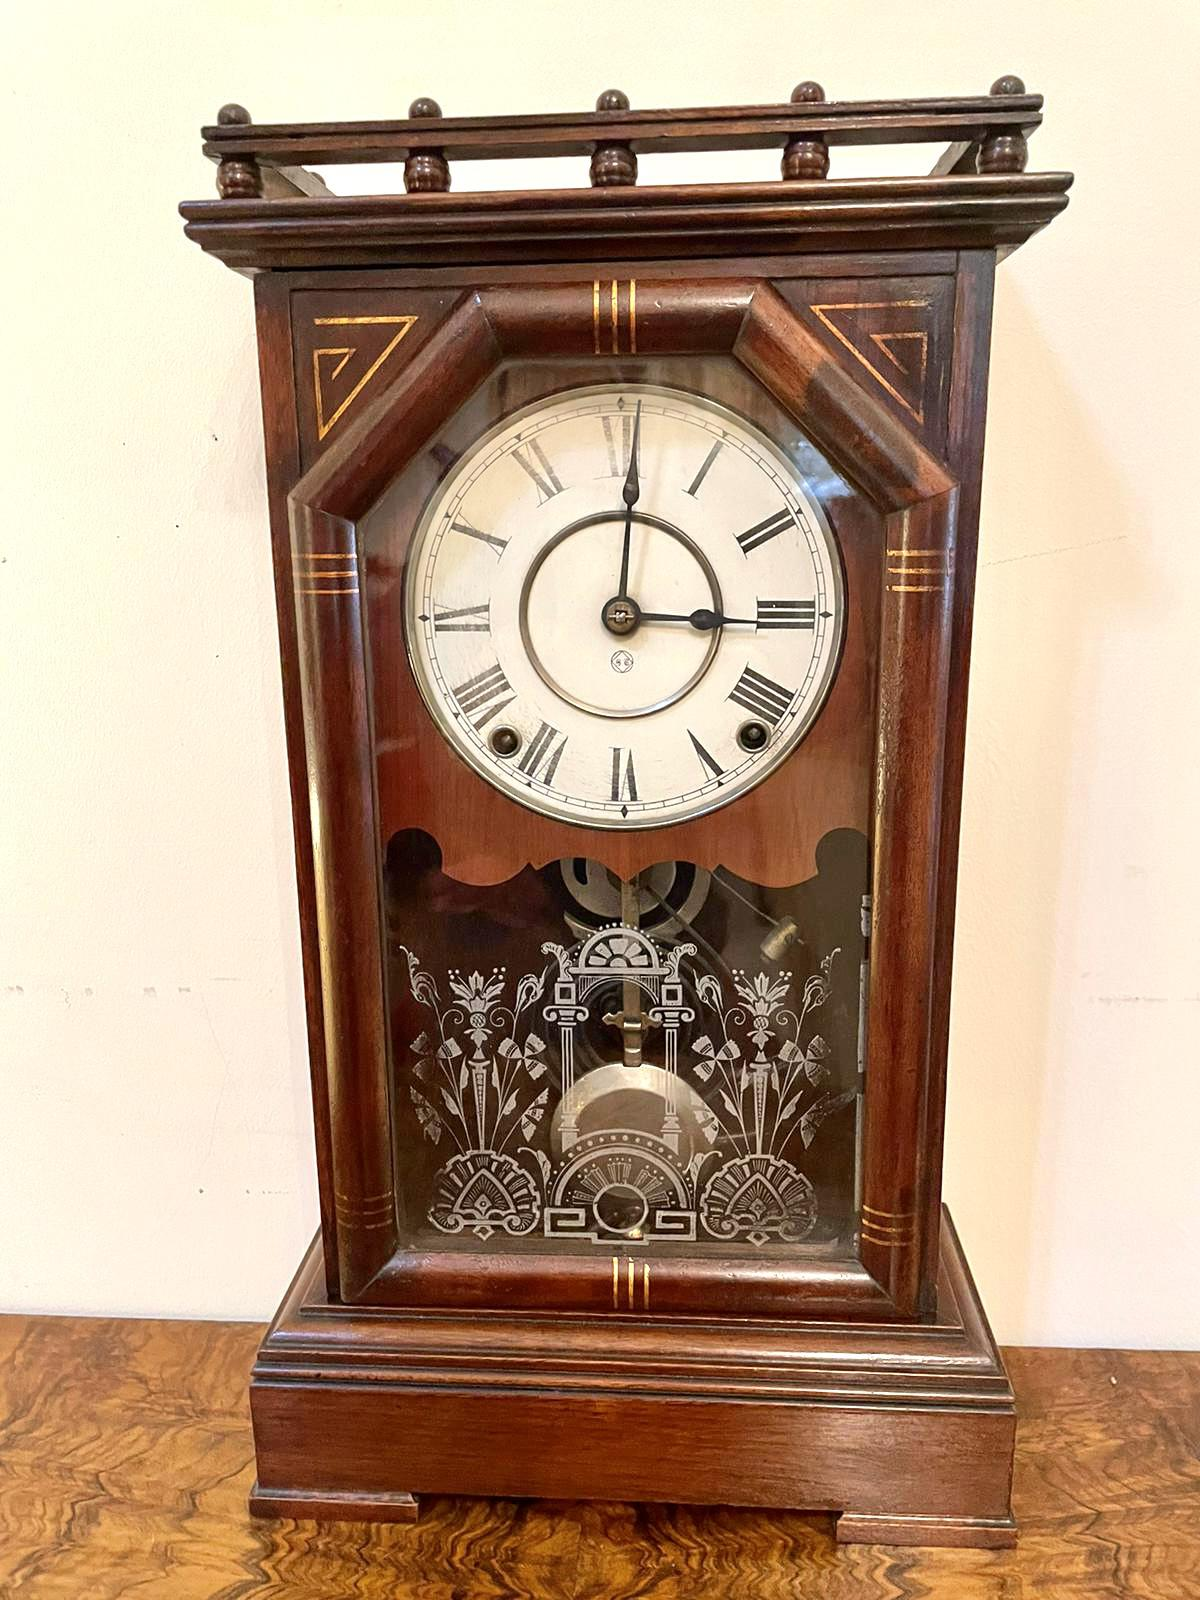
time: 3:01
